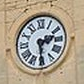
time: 2:29
